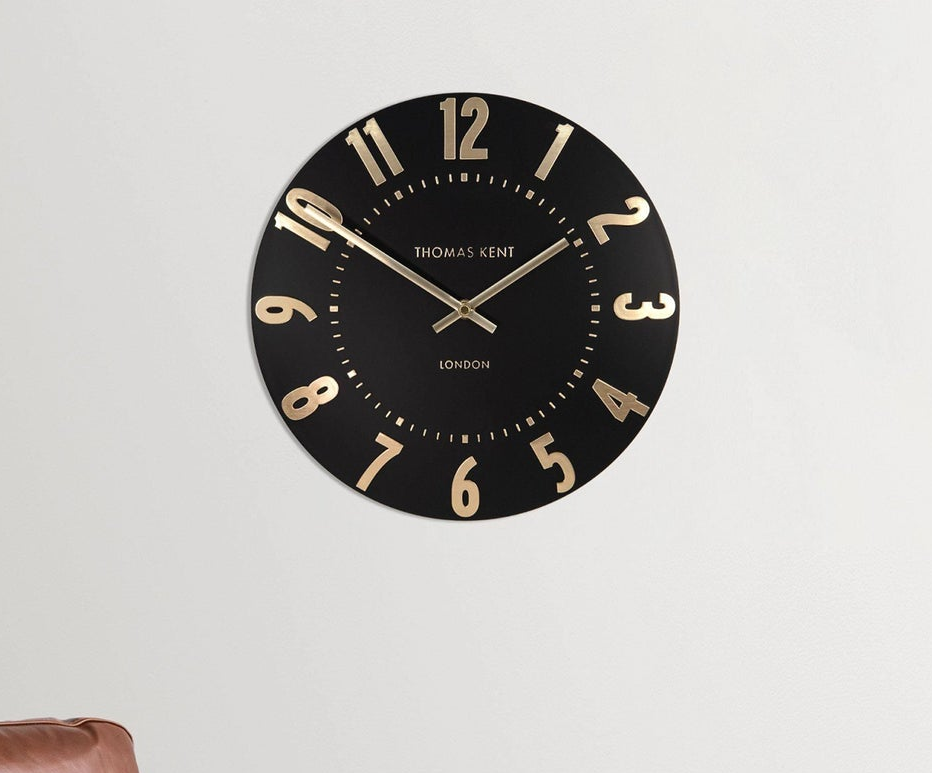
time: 1:50
